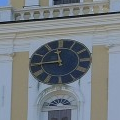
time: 11:44
